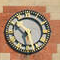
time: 5:51
